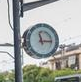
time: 11:15
